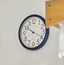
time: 10:19
